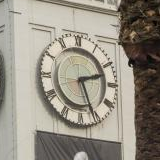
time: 2:26
